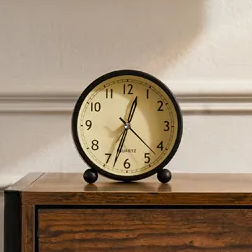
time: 12:32
